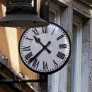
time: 10:37
